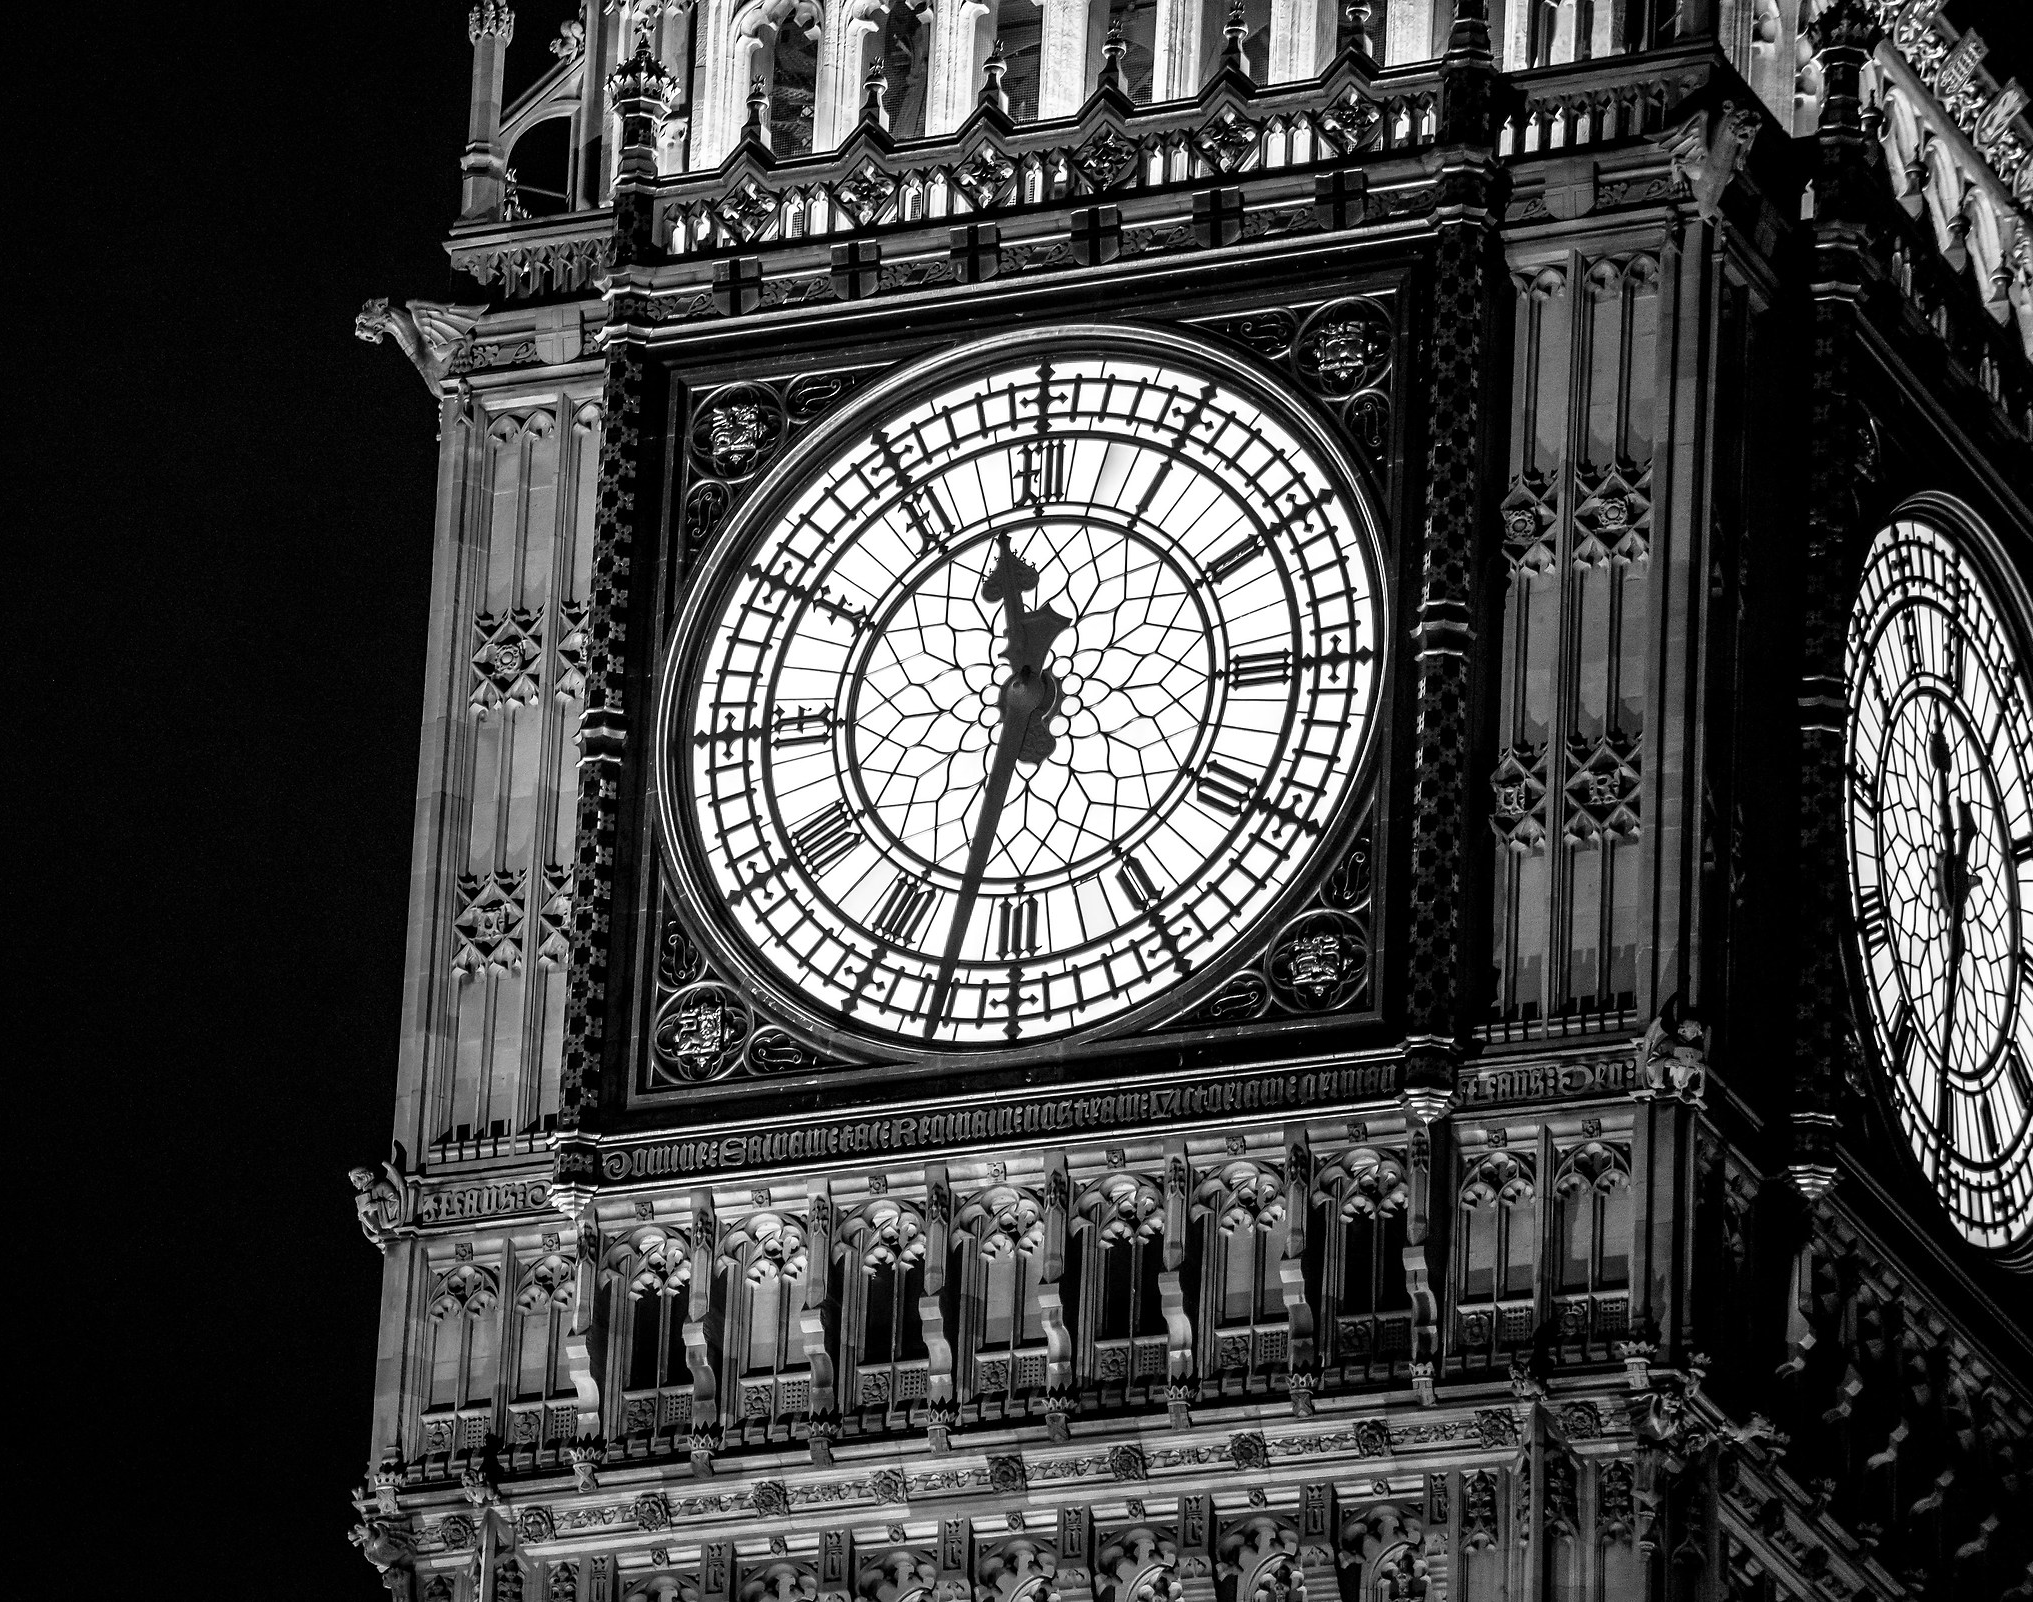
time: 11:32
